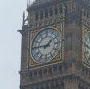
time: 1:45
